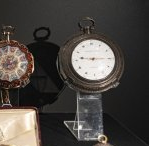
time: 9:15
